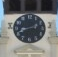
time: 8:12
